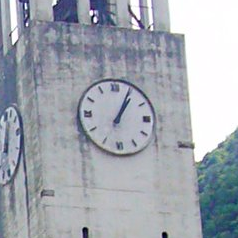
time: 1:04
